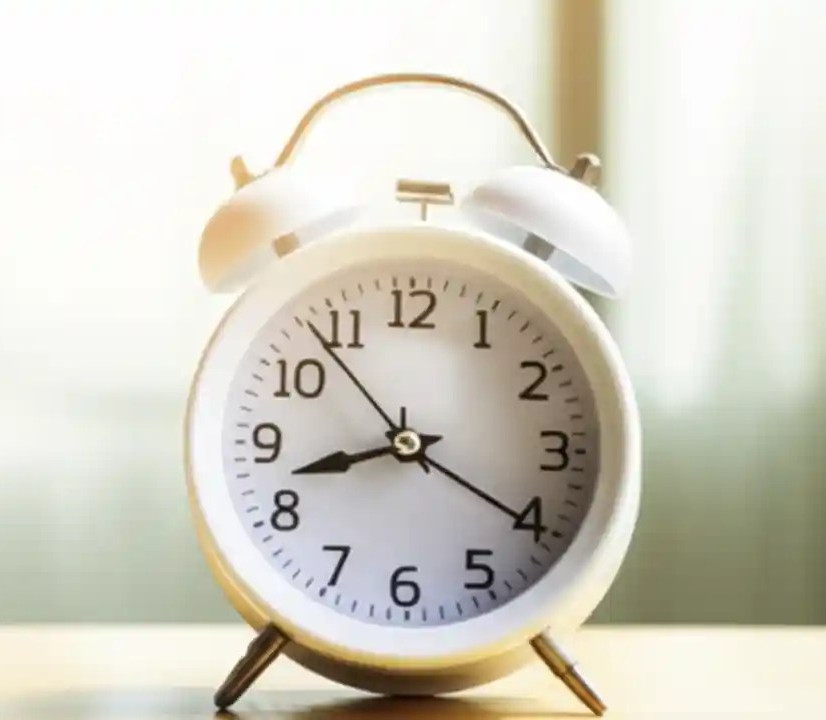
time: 8:20
